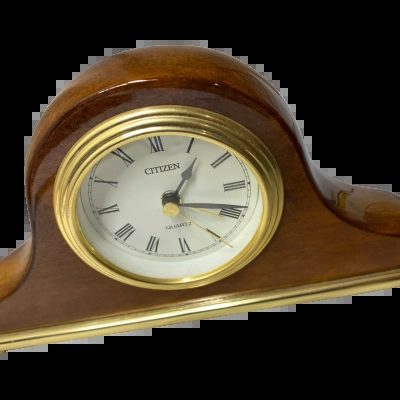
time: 1:18
